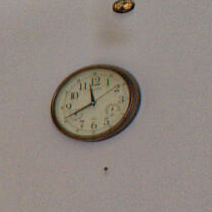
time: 11:41
